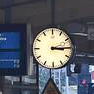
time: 3:14
